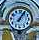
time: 1:05
